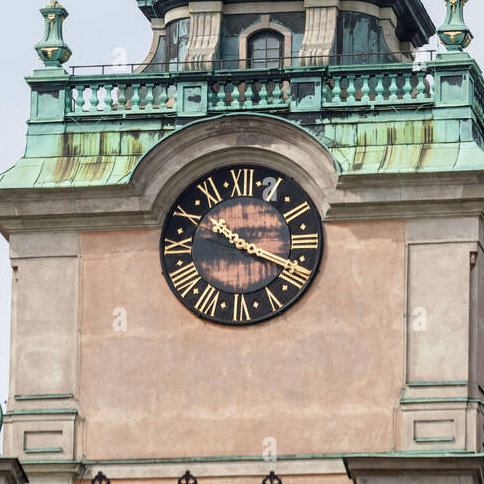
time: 10:18
